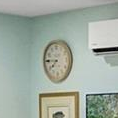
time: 7:45
